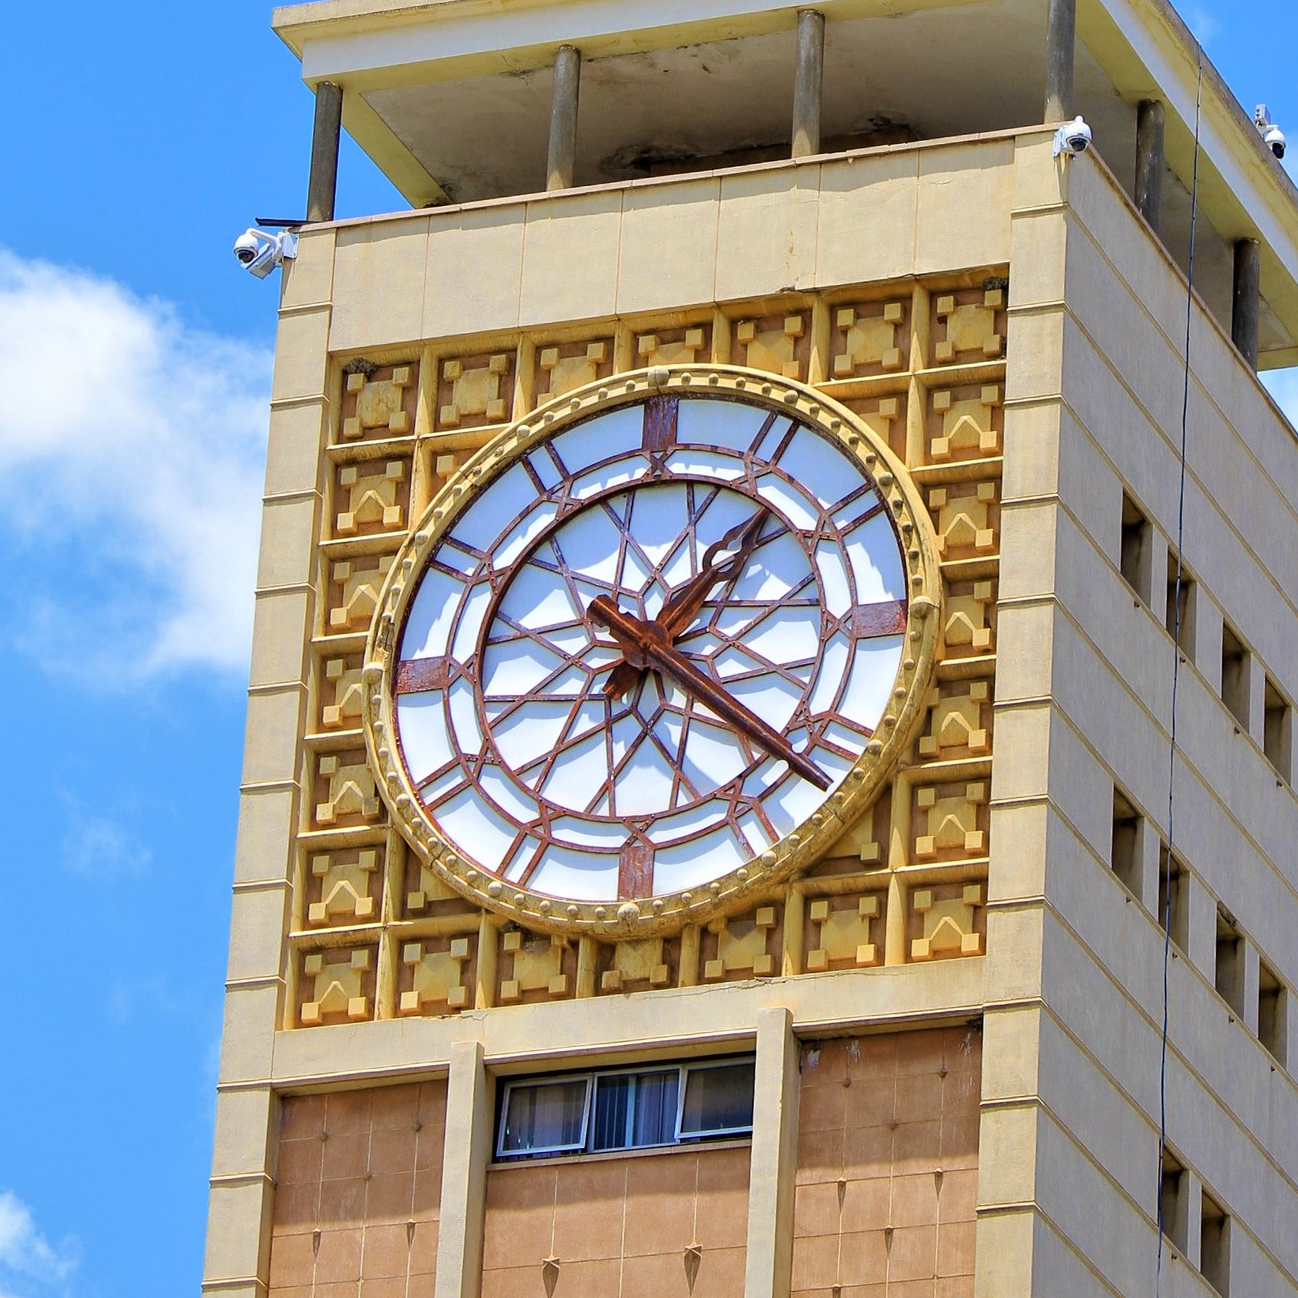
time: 1:21
